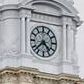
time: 4:37
